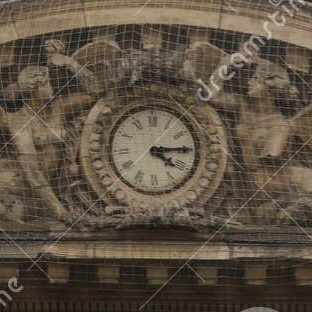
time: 4:14
